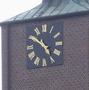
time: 4:50
